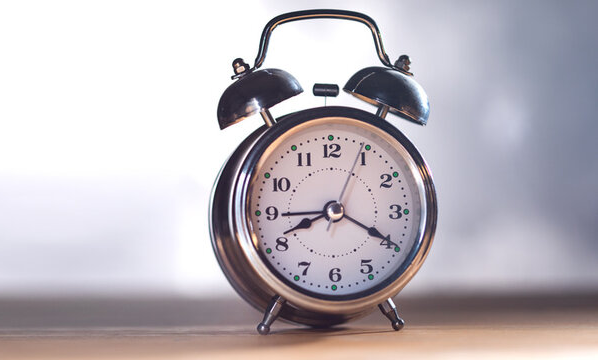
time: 8:19
